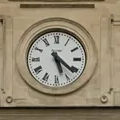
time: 5:21
